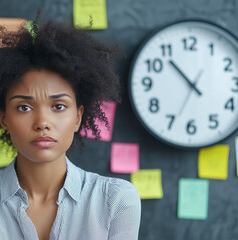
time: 10:34
